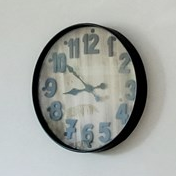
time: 8:51
